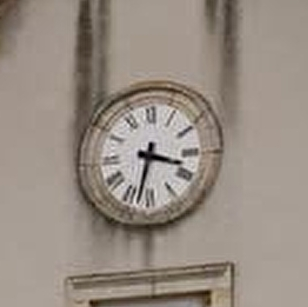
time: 3:32
